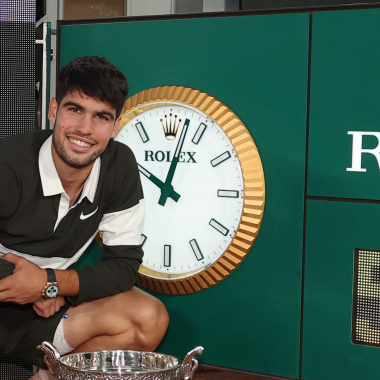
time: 10:02
